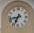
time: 6:42
